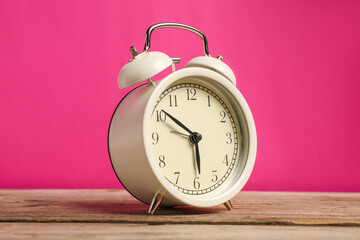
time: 5:51
